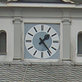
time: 1:23
